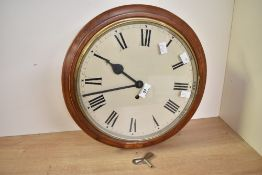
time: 9:42
